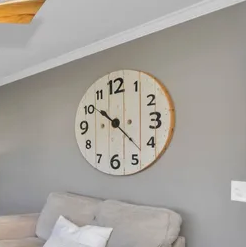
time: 10:22
